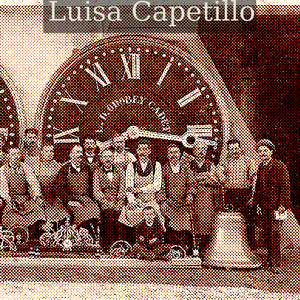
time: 8:16
